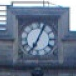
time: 7:04
